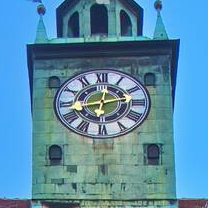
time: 12:12
